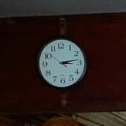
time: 3:13
